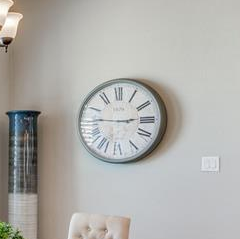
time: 2:46
